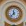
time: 11:37
